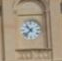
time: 10:37
